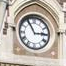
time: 2:55
